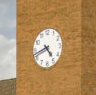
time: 4:42
